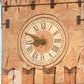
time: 8:48
